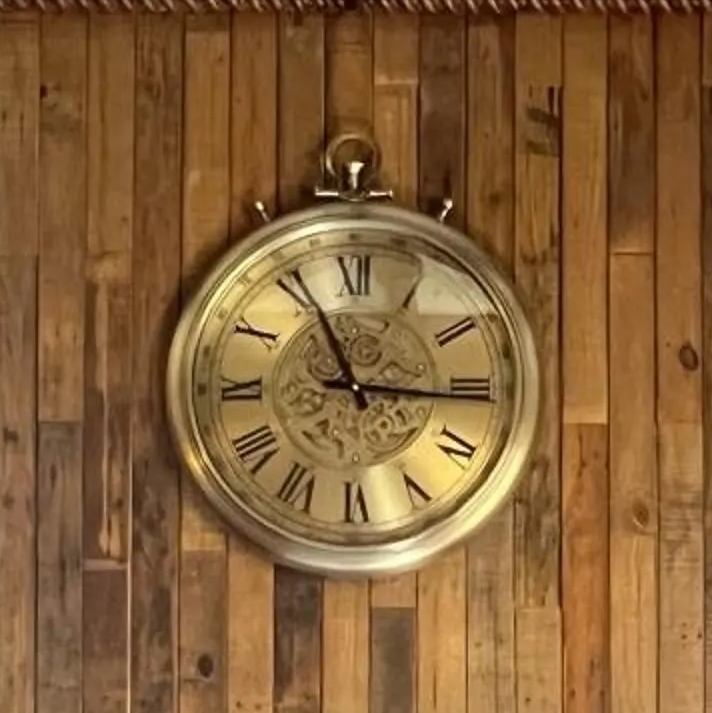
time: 11:15
